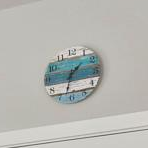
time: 1:32
